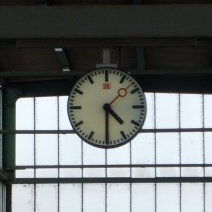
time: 4:30
